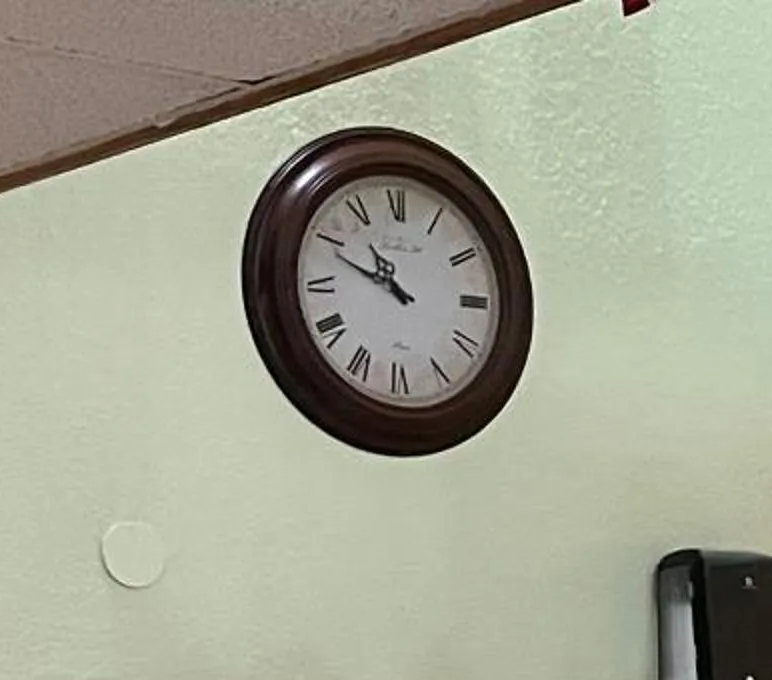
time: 10:49
